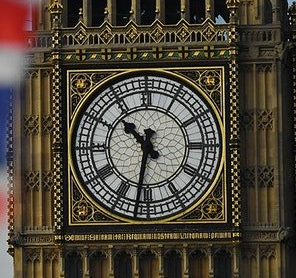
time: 10:31
